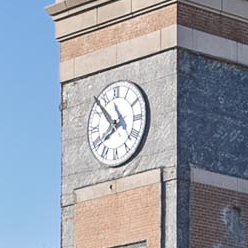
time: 7:52
